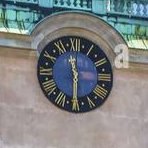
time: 11:30
